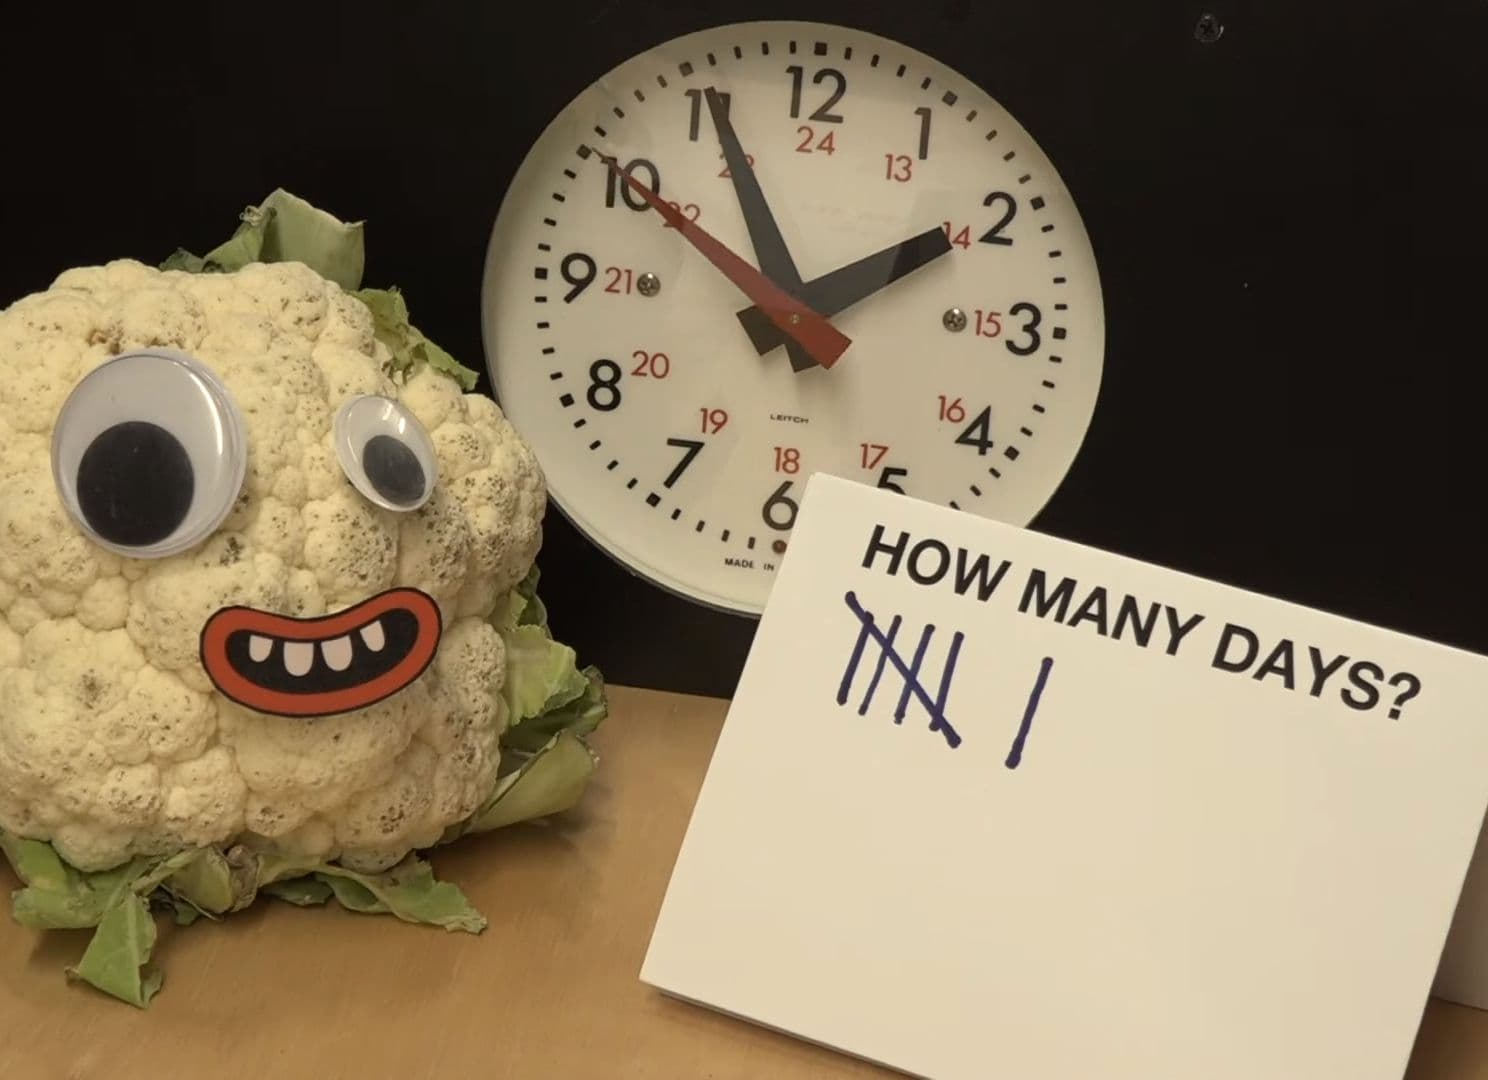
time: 1:55
